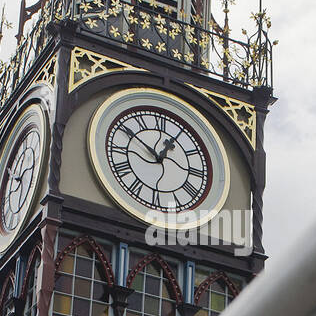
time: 12:50
